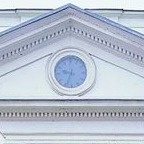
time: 9:33
